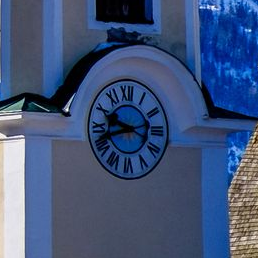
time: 9:42
